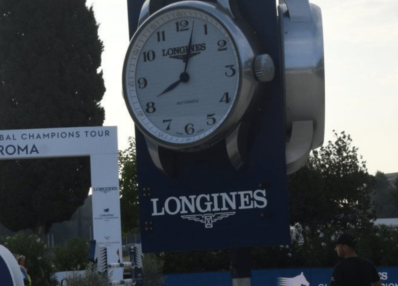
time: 8:02
